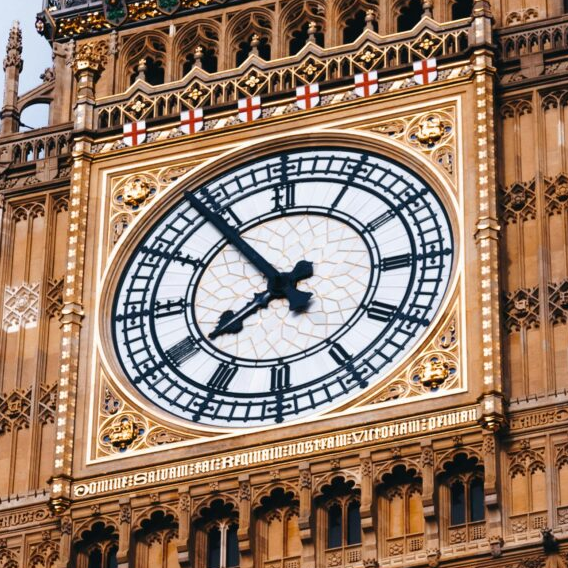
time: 7:53
